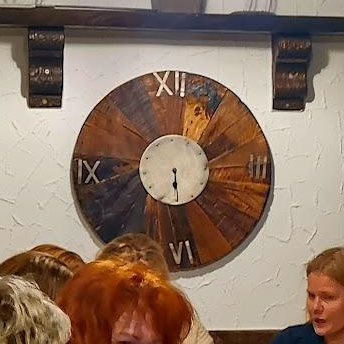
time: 5:26
